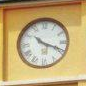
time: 10:18
